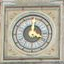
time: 4:01
